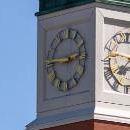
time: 2:45
